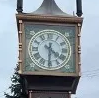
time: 4:30
